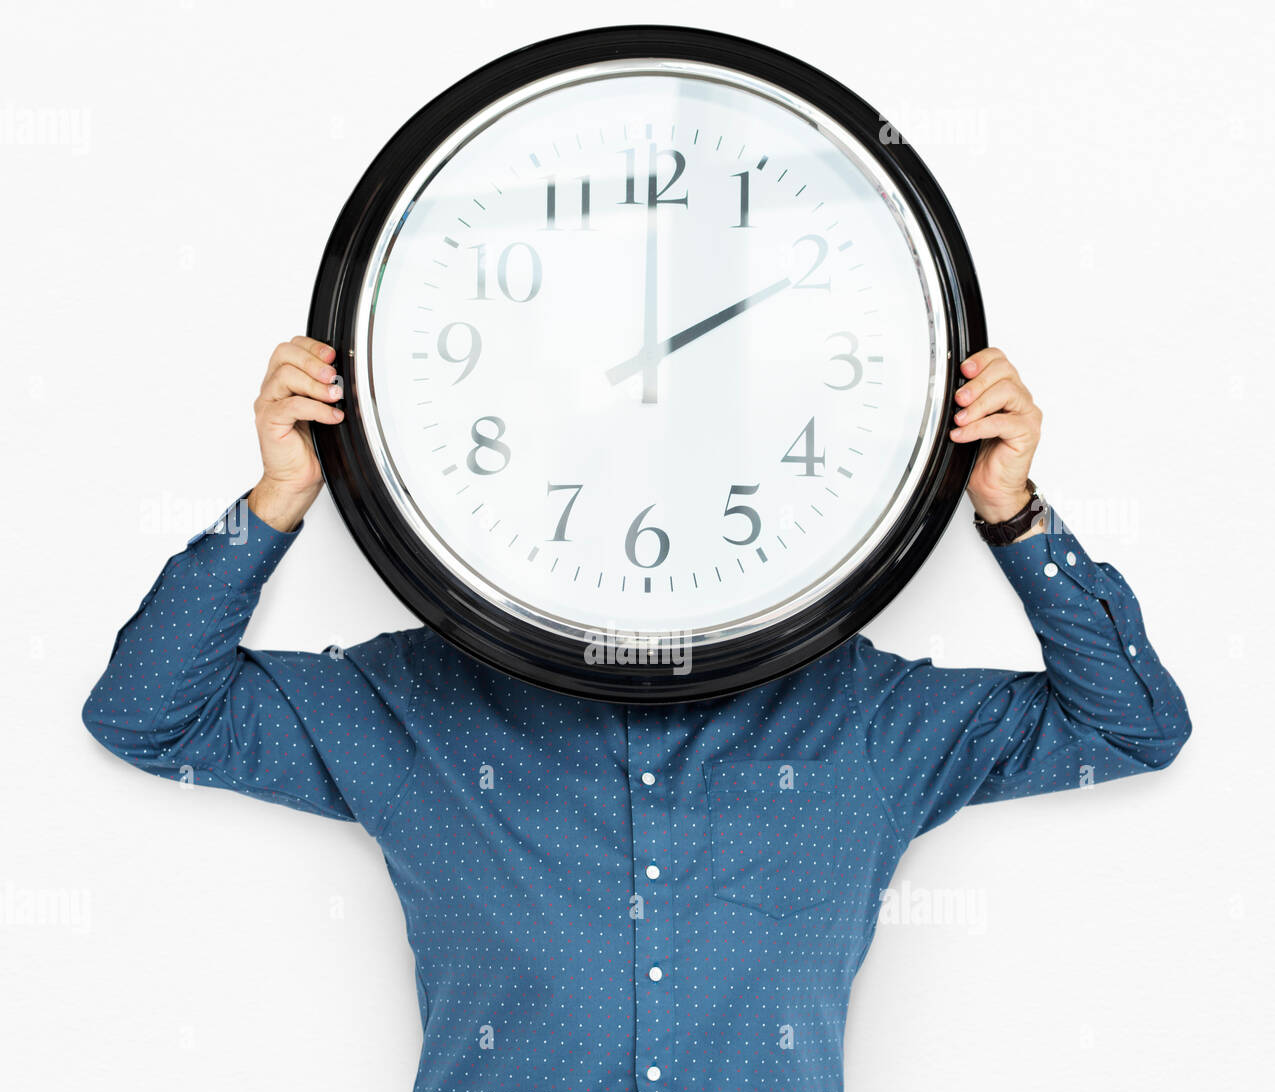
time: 2:00
